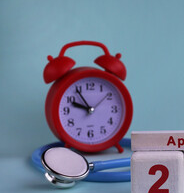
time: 9:54
